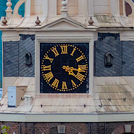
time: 4:17
